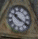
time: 10:19
